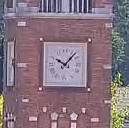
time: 10:07
